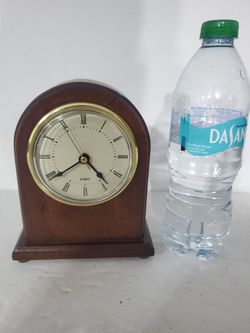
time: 4:39
